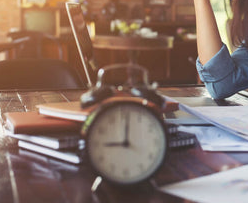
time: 9:01
